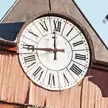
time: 11:43
